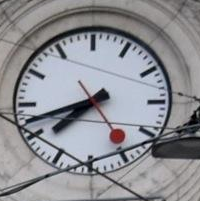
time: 7:42
